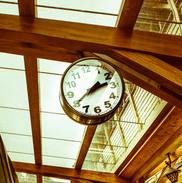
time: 2:40
